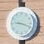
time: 9:18
